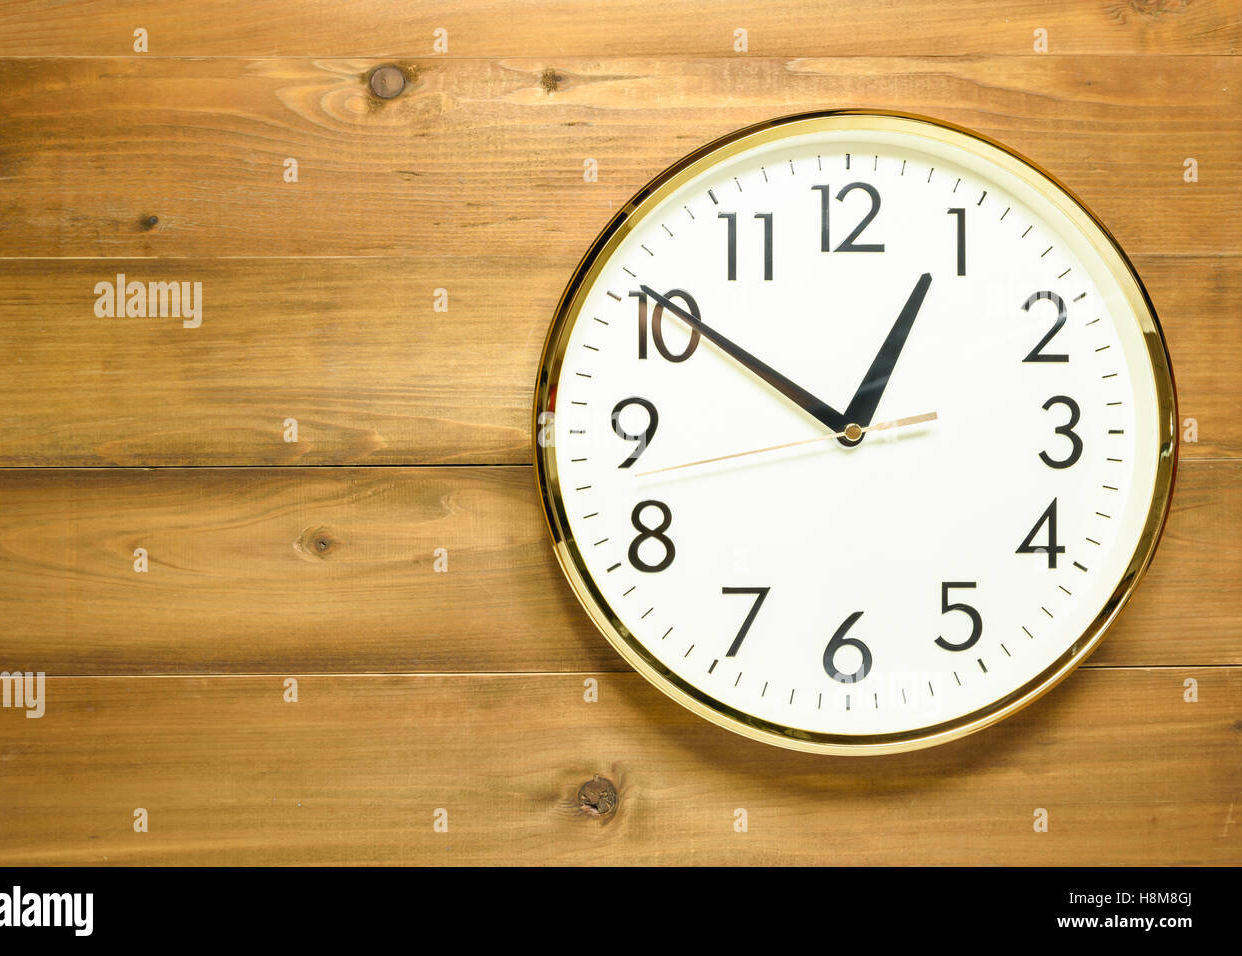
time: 12:50
